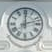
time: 12:12
